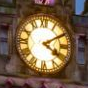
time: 4:09
